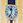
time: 11:33
